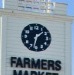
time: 1:32
